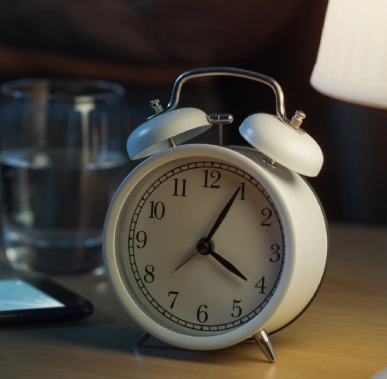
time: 4:04
